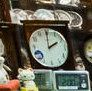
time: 2:00
